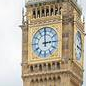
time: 2:59
